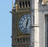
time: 12:32
